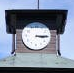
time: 3:14
